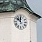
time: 11:51
